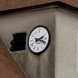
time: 2:18
